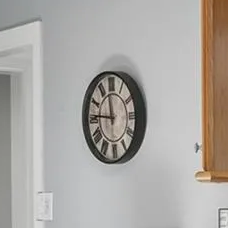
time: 11:45
